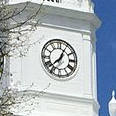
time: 12:37
